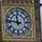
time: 11:46
